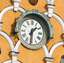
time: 1:30
